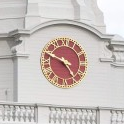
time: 4:48
